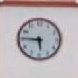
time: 5:45
